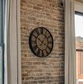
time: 3:50
